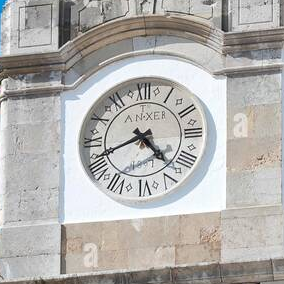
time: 4:41
